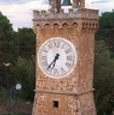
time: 6:36
